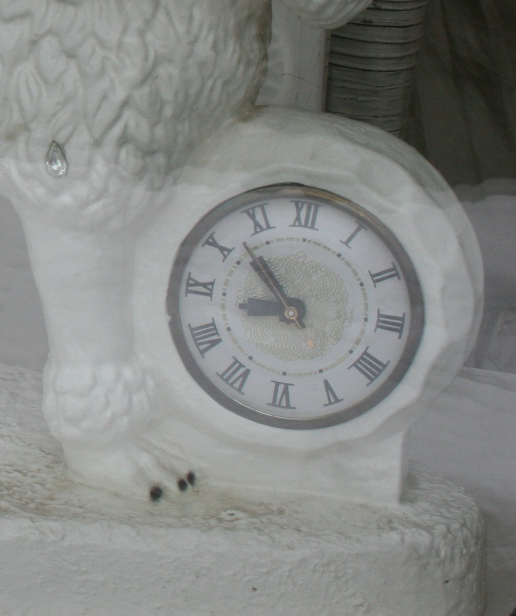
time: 8:52
